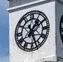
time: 1:26
